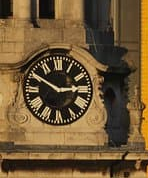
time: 2:50
